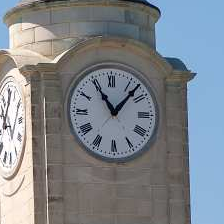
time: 11:07
